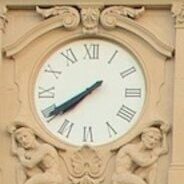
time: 7:39
